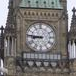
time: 8:46
